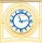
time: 11:13
